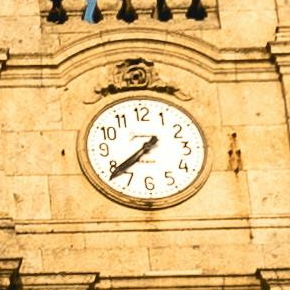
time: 7:38
